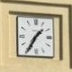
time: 1:35
